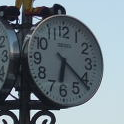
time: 6:21
